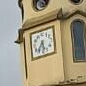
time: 5:36
